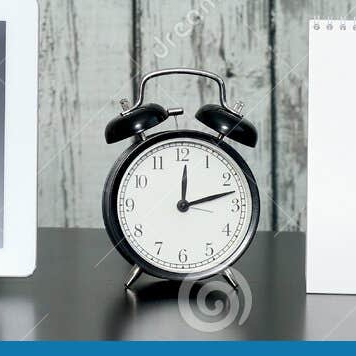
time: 12:12
